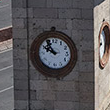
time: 9:54
